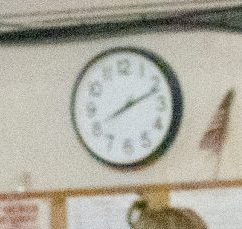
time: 8:11
